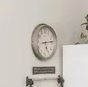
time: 5:13
